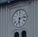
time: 6:13
